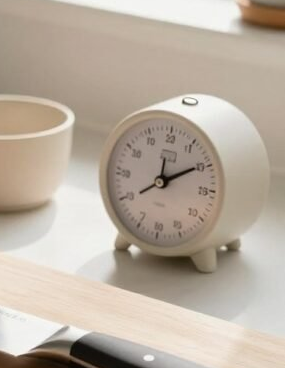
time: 12:09
